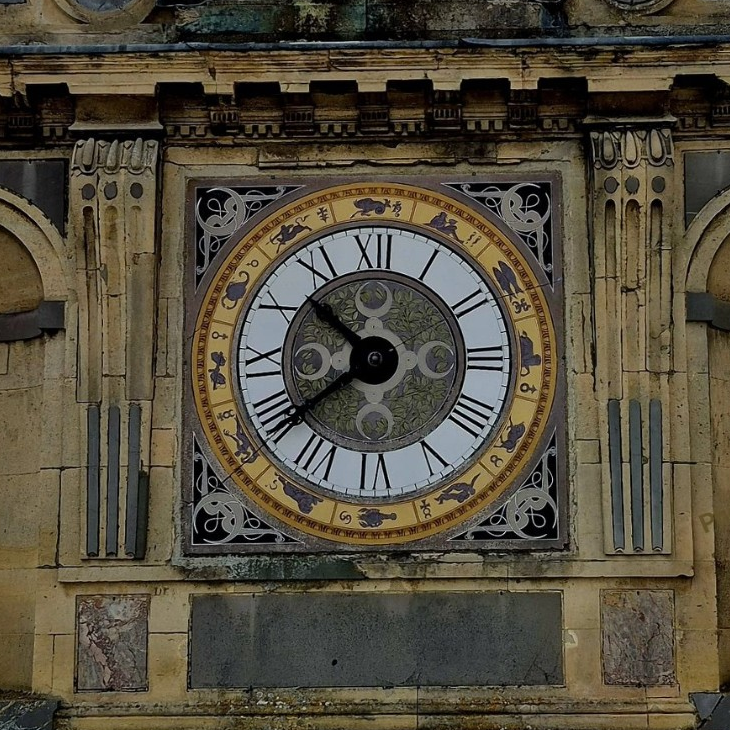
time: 10:39
